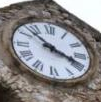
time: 3:52
